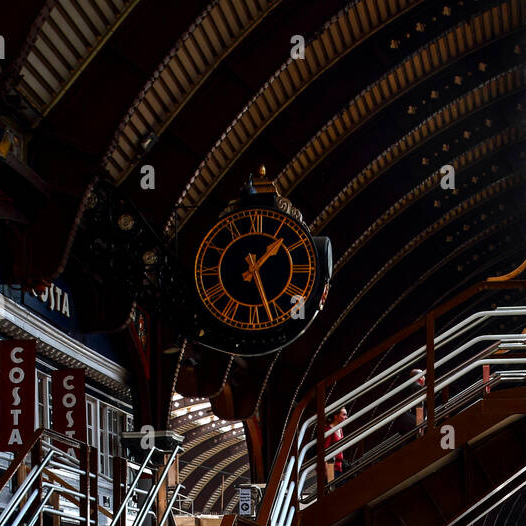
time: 1:25
